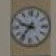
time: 9:36
